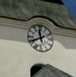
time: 11:40
